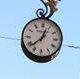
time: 12:38
